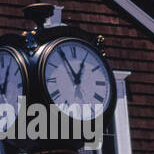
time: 12:55
